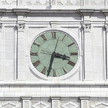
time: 3:32
